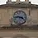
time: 3:43
